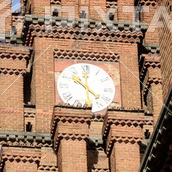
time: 10:22
